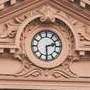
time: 2:29
